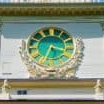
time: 3:33
